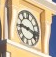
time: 9:17
